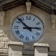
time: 2:52
